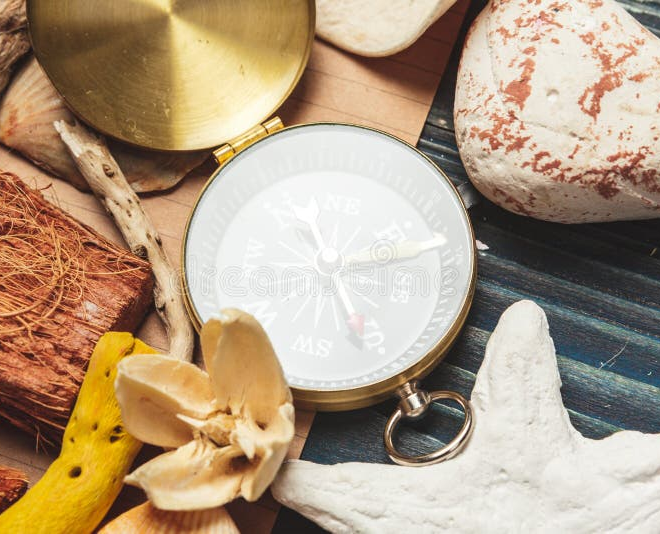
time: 5:13
